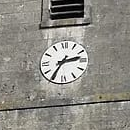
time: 2:35
